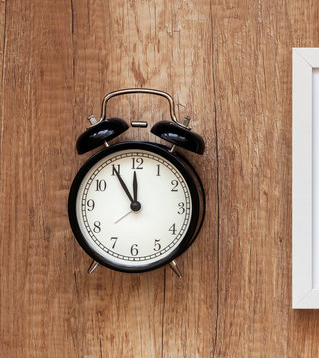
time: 11:54
